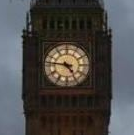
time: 4:46
